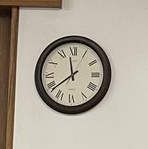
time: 11:38
